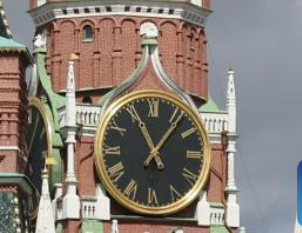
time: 11:06
